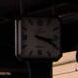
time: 3:19
